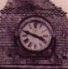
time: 3:48
